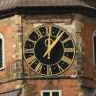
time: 12:06
